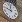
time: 11:46
